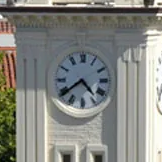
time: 4:39
